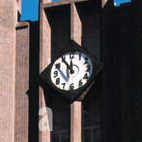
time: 11:54
